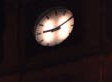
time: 9:10
